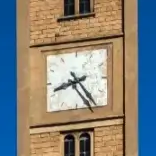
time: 8:24
